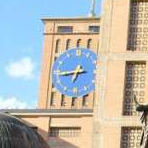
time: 6:43
